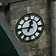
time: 12:45
